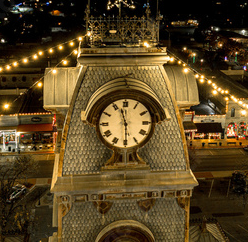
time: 11:29
